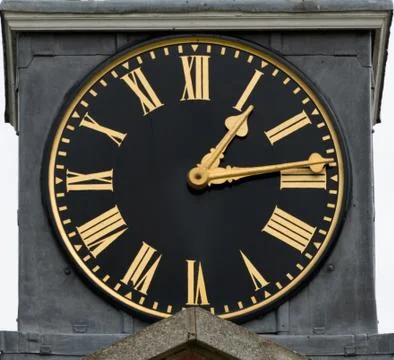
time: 1:13
